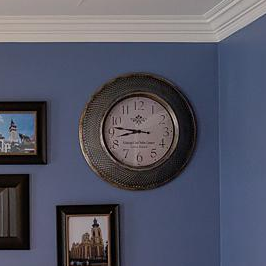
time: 8:46
